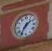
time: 1:35
